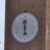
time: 11:28
